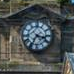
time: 3:35
